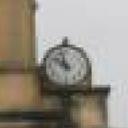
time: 9:57
